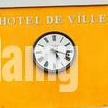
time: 5:17
